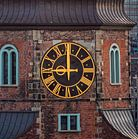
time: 8:59
